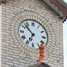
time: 6:52
